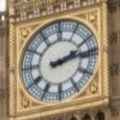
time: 2:13
